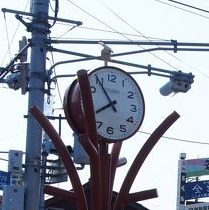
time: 7:54
